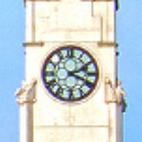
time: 2:18
